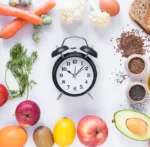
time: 10:07
